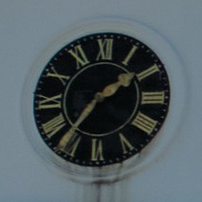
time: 1:36
